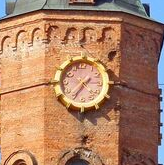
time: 1:35
